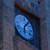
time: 6:06
